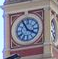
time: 3:55
